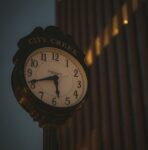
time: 5:41
